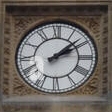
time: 2:08
